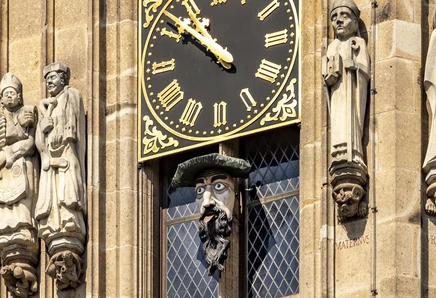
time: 10:51
